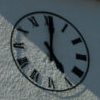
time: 5:00
